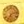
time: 7:12
